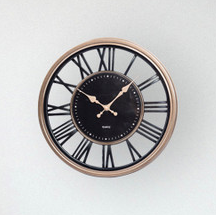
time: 10:07
